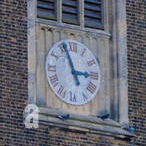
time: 2:56
